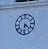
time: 6:21
